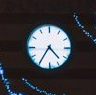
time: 4:35
